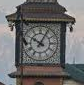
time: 10:04
